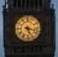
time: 5:17
